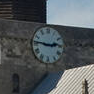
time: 2:46
